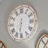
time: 6:32
